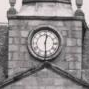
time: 12:29
